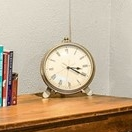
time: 3:20
